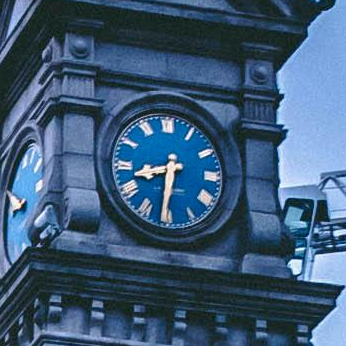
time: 8:31
